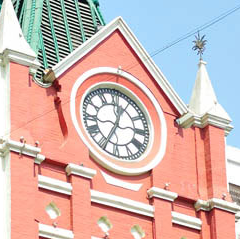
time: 12:34
